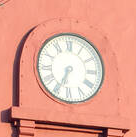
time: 6:34
